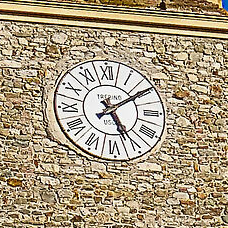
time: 5:09
